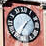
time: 7:07
